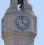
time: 3:58
